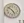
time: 4:52
